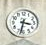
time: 3:32
